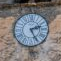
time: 2:25
